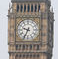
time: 9:34
